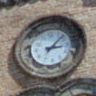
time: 3:07
